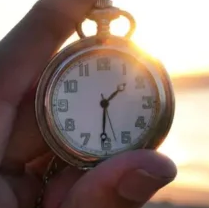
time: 1:30
